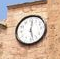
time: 12:27
